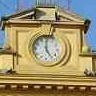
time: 4:59
